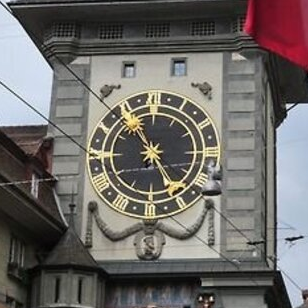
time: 4:54
